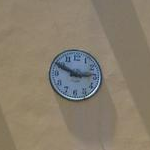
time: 2:49
